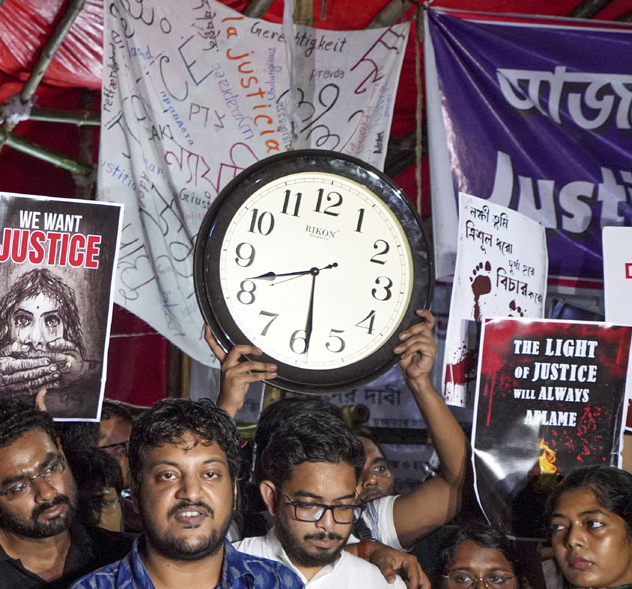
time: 5:41
